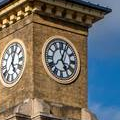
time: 5:03
